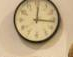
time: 12:16
